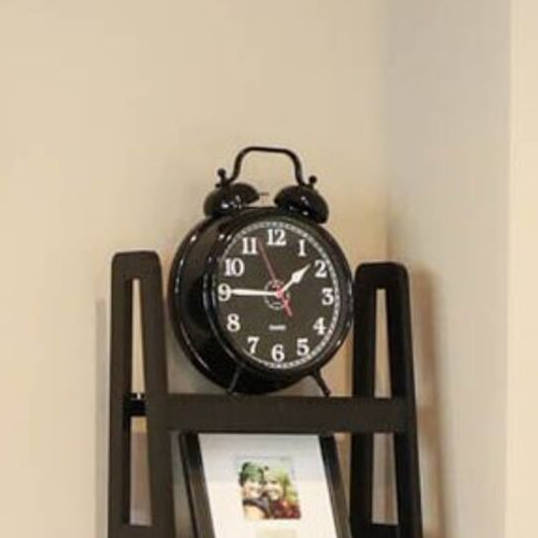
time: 1:45
